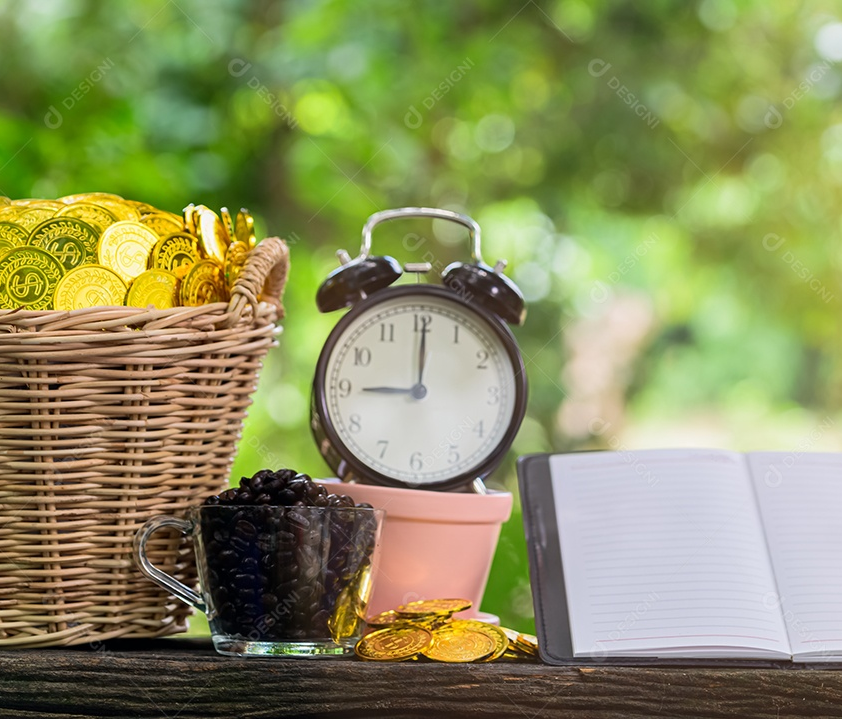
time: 9:00
